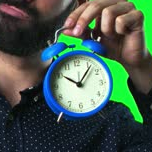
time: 10:06
